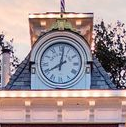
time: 8:01
